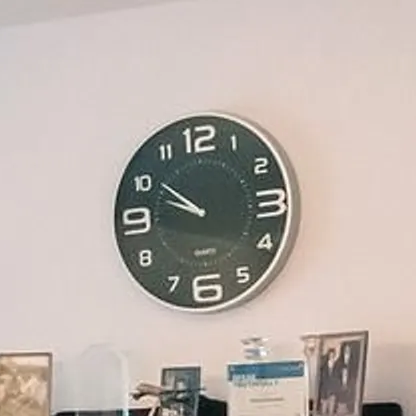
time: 9:51
